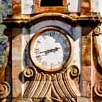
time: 2:42
